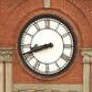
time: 8:41
